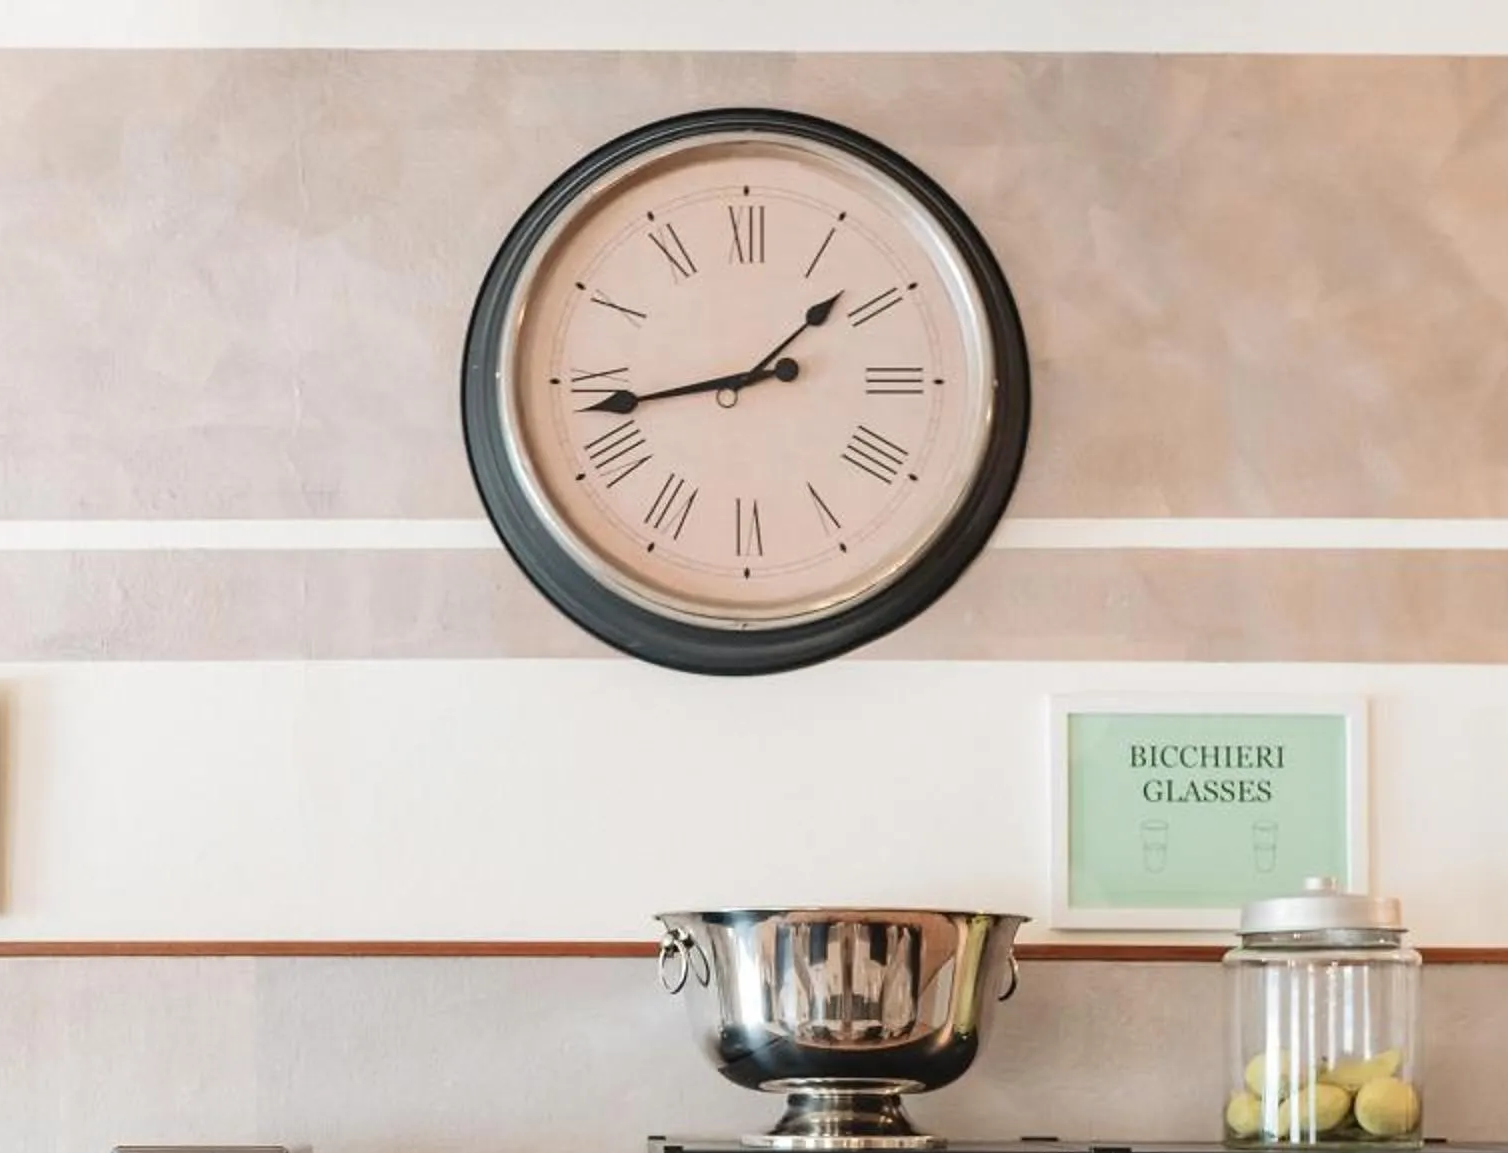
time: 1:43
